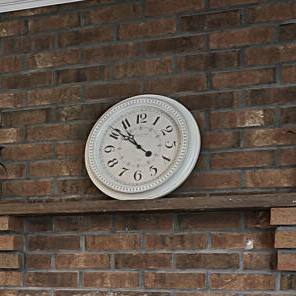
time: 10:51
